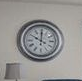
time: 10:00
